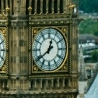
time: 12:39
